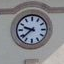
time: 9:38
